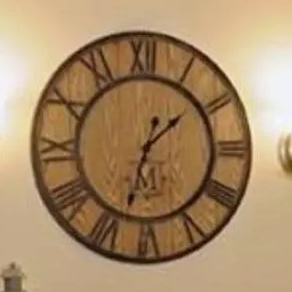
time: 1:33
